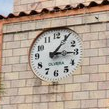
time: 3:05
